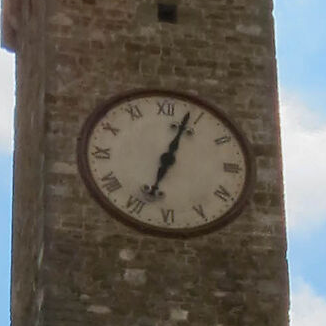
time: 12:33
